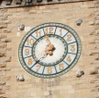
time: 11:37
